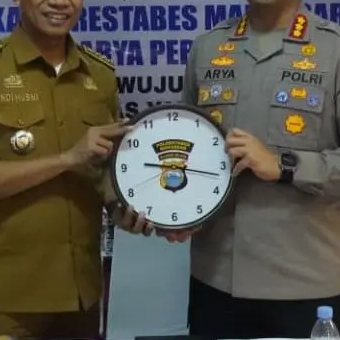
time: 9:17
